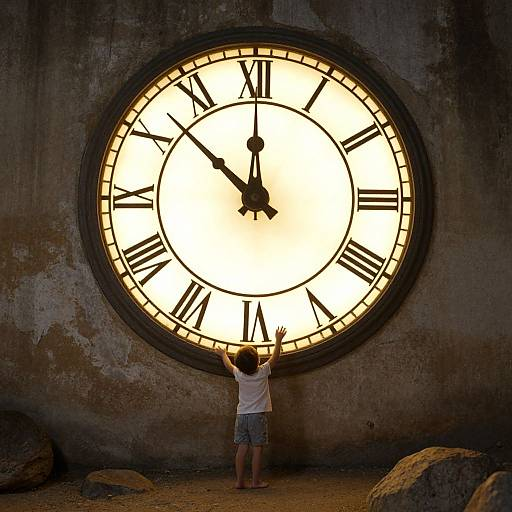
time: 11:51
